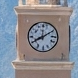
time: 8:09
